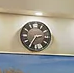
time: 2:35
